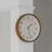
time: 1:27
